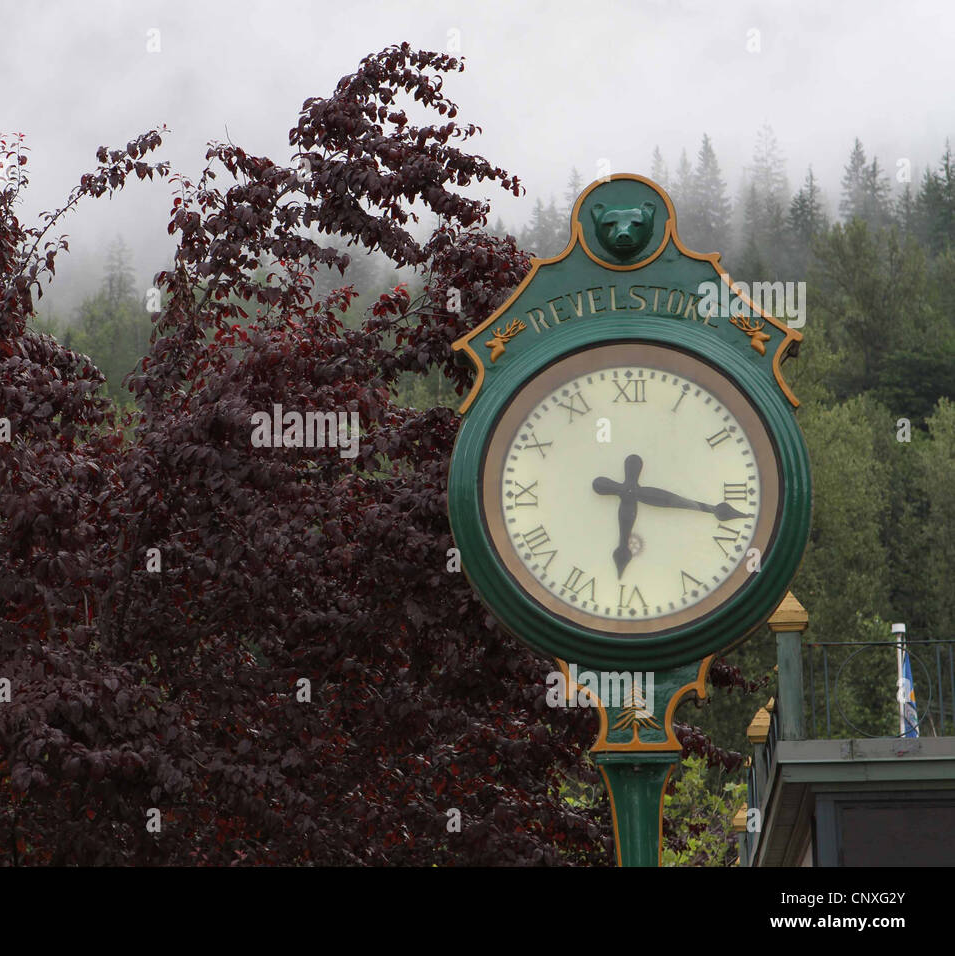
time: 6:17
